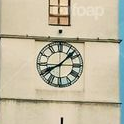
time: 8:07
